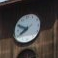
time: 7:49
